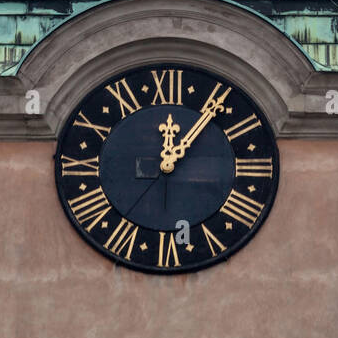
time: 12:06
